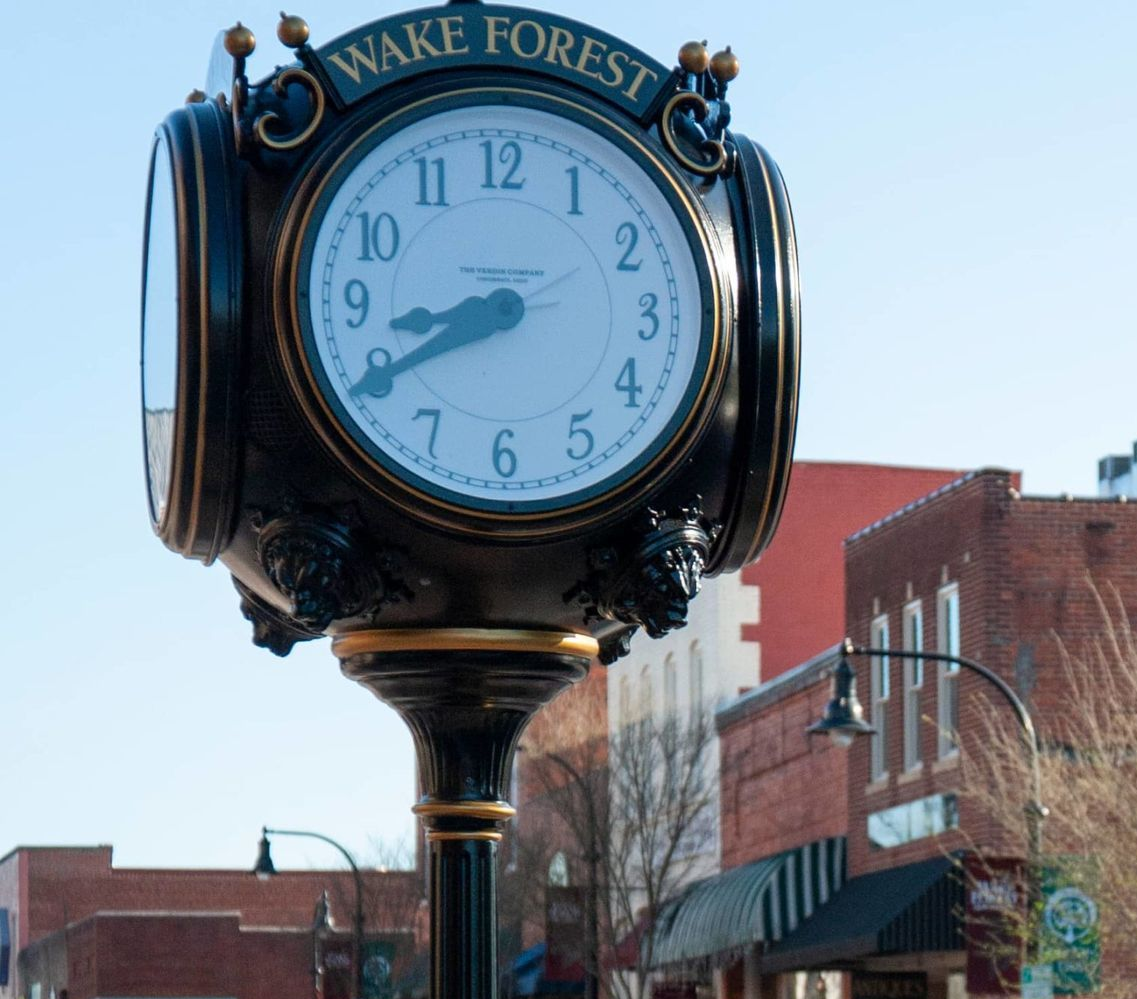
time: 8:40
